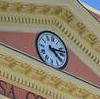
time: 4:12
